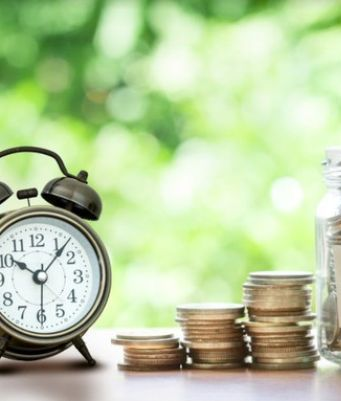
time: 10:07
